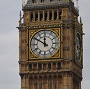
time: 11:50
